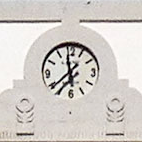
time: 11:38
